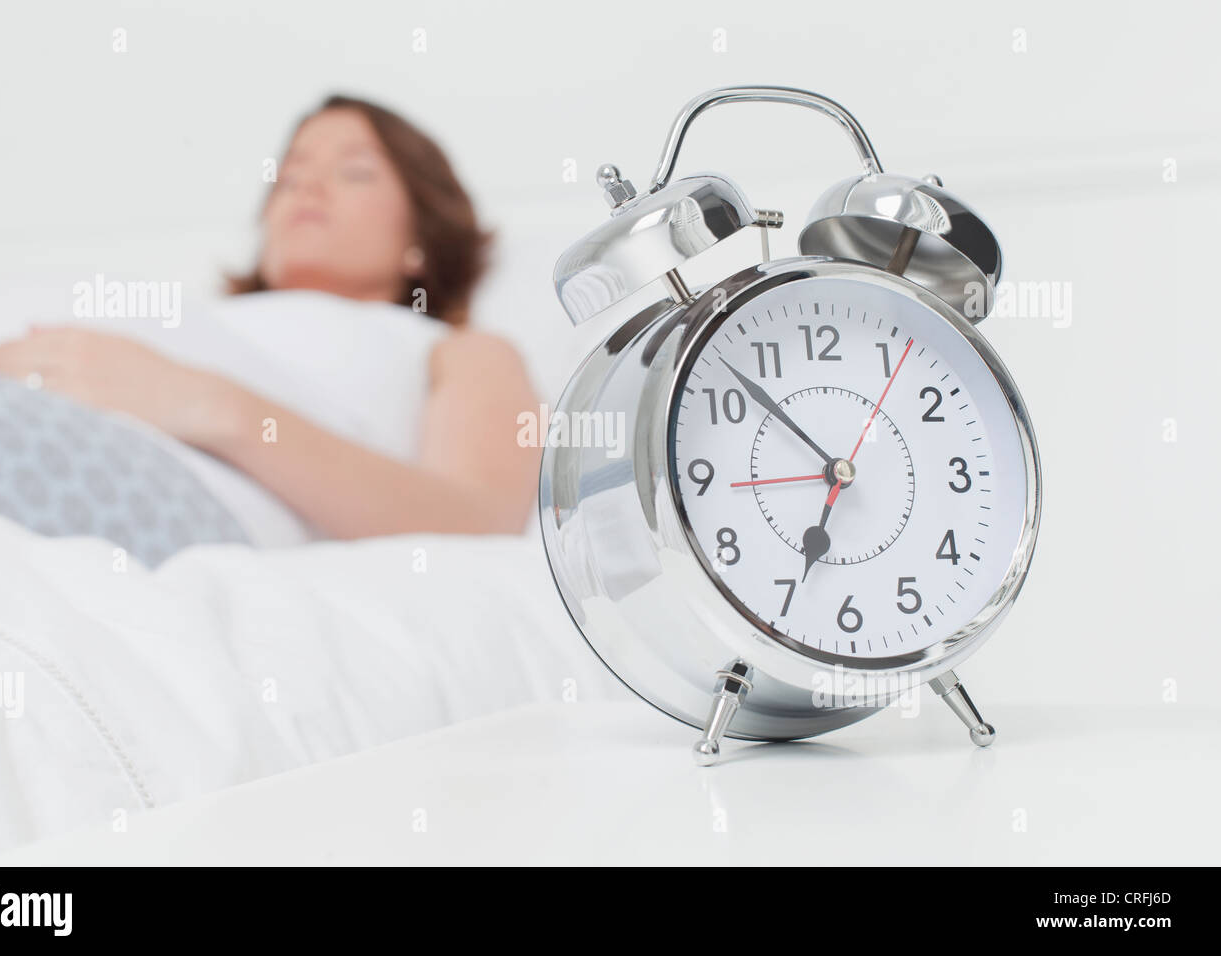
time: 6:52
